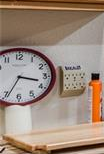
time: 3:34
